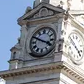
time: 3:49
